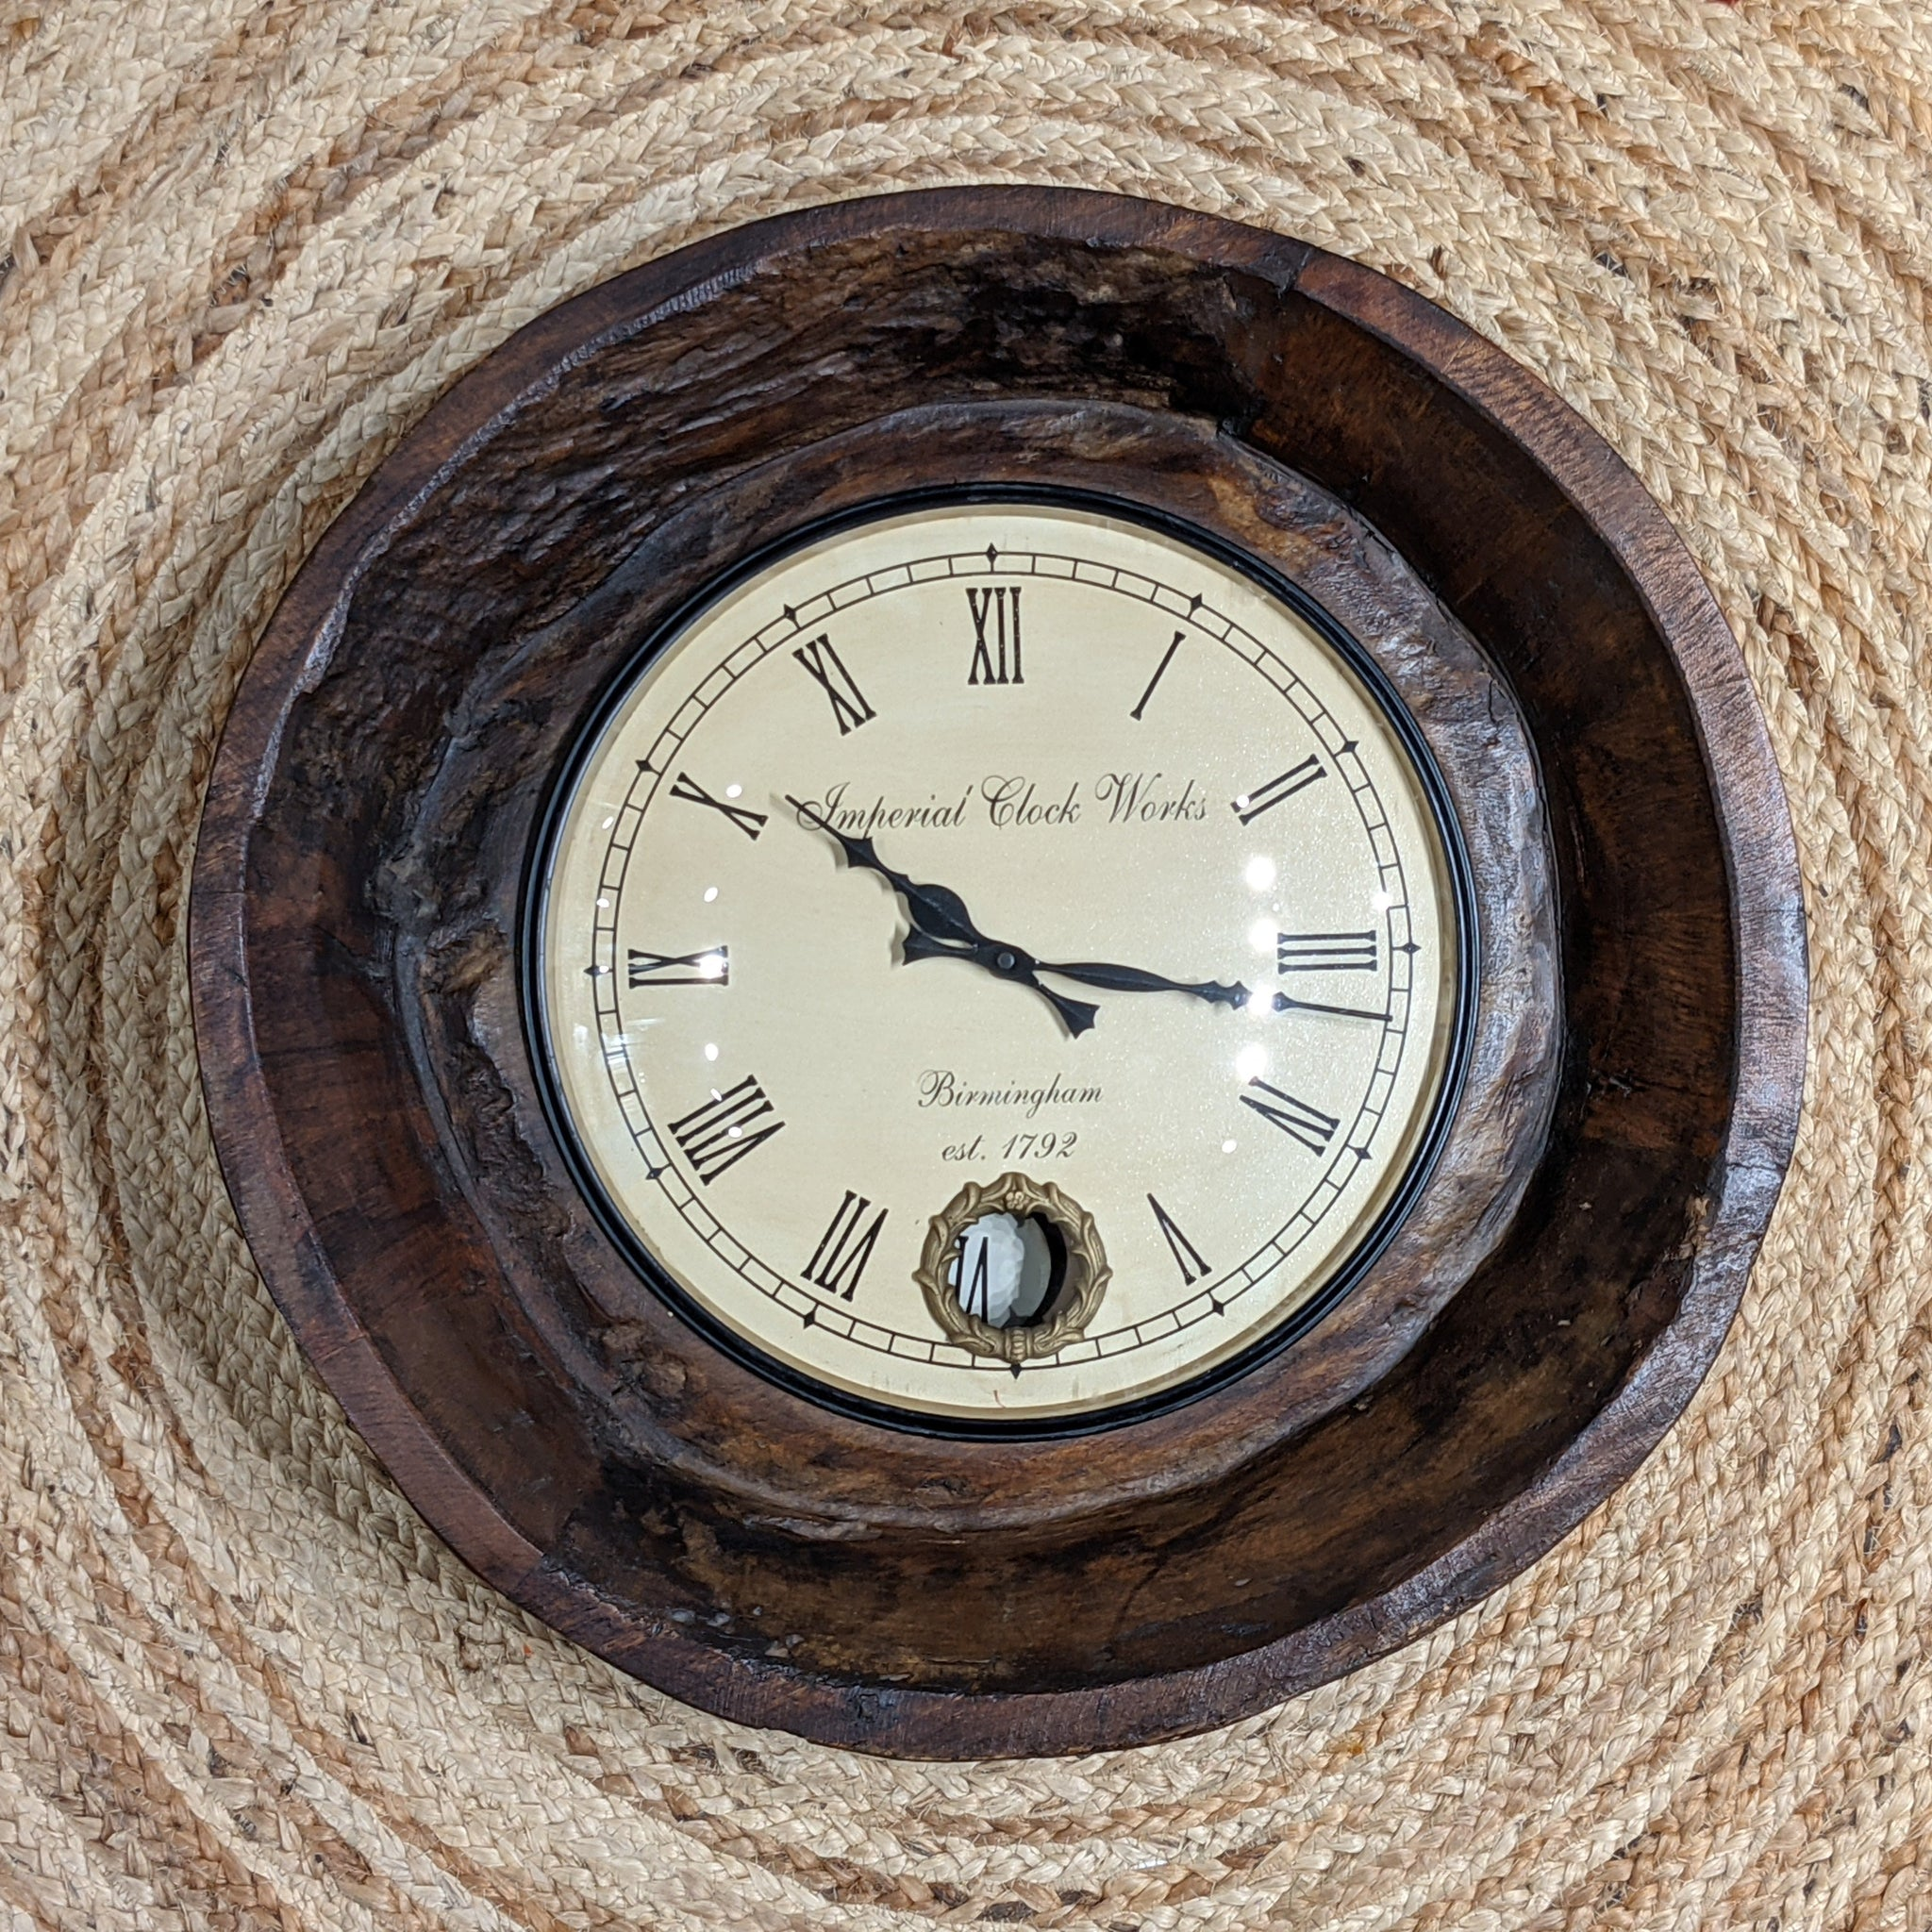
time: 10:16
